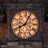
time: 8:04
